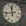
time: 11:43
